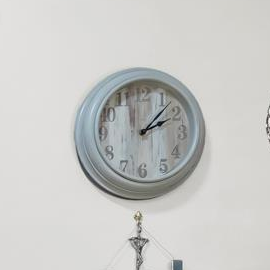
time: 2:07
